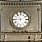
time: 10:44
